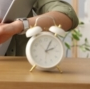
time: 2:04
